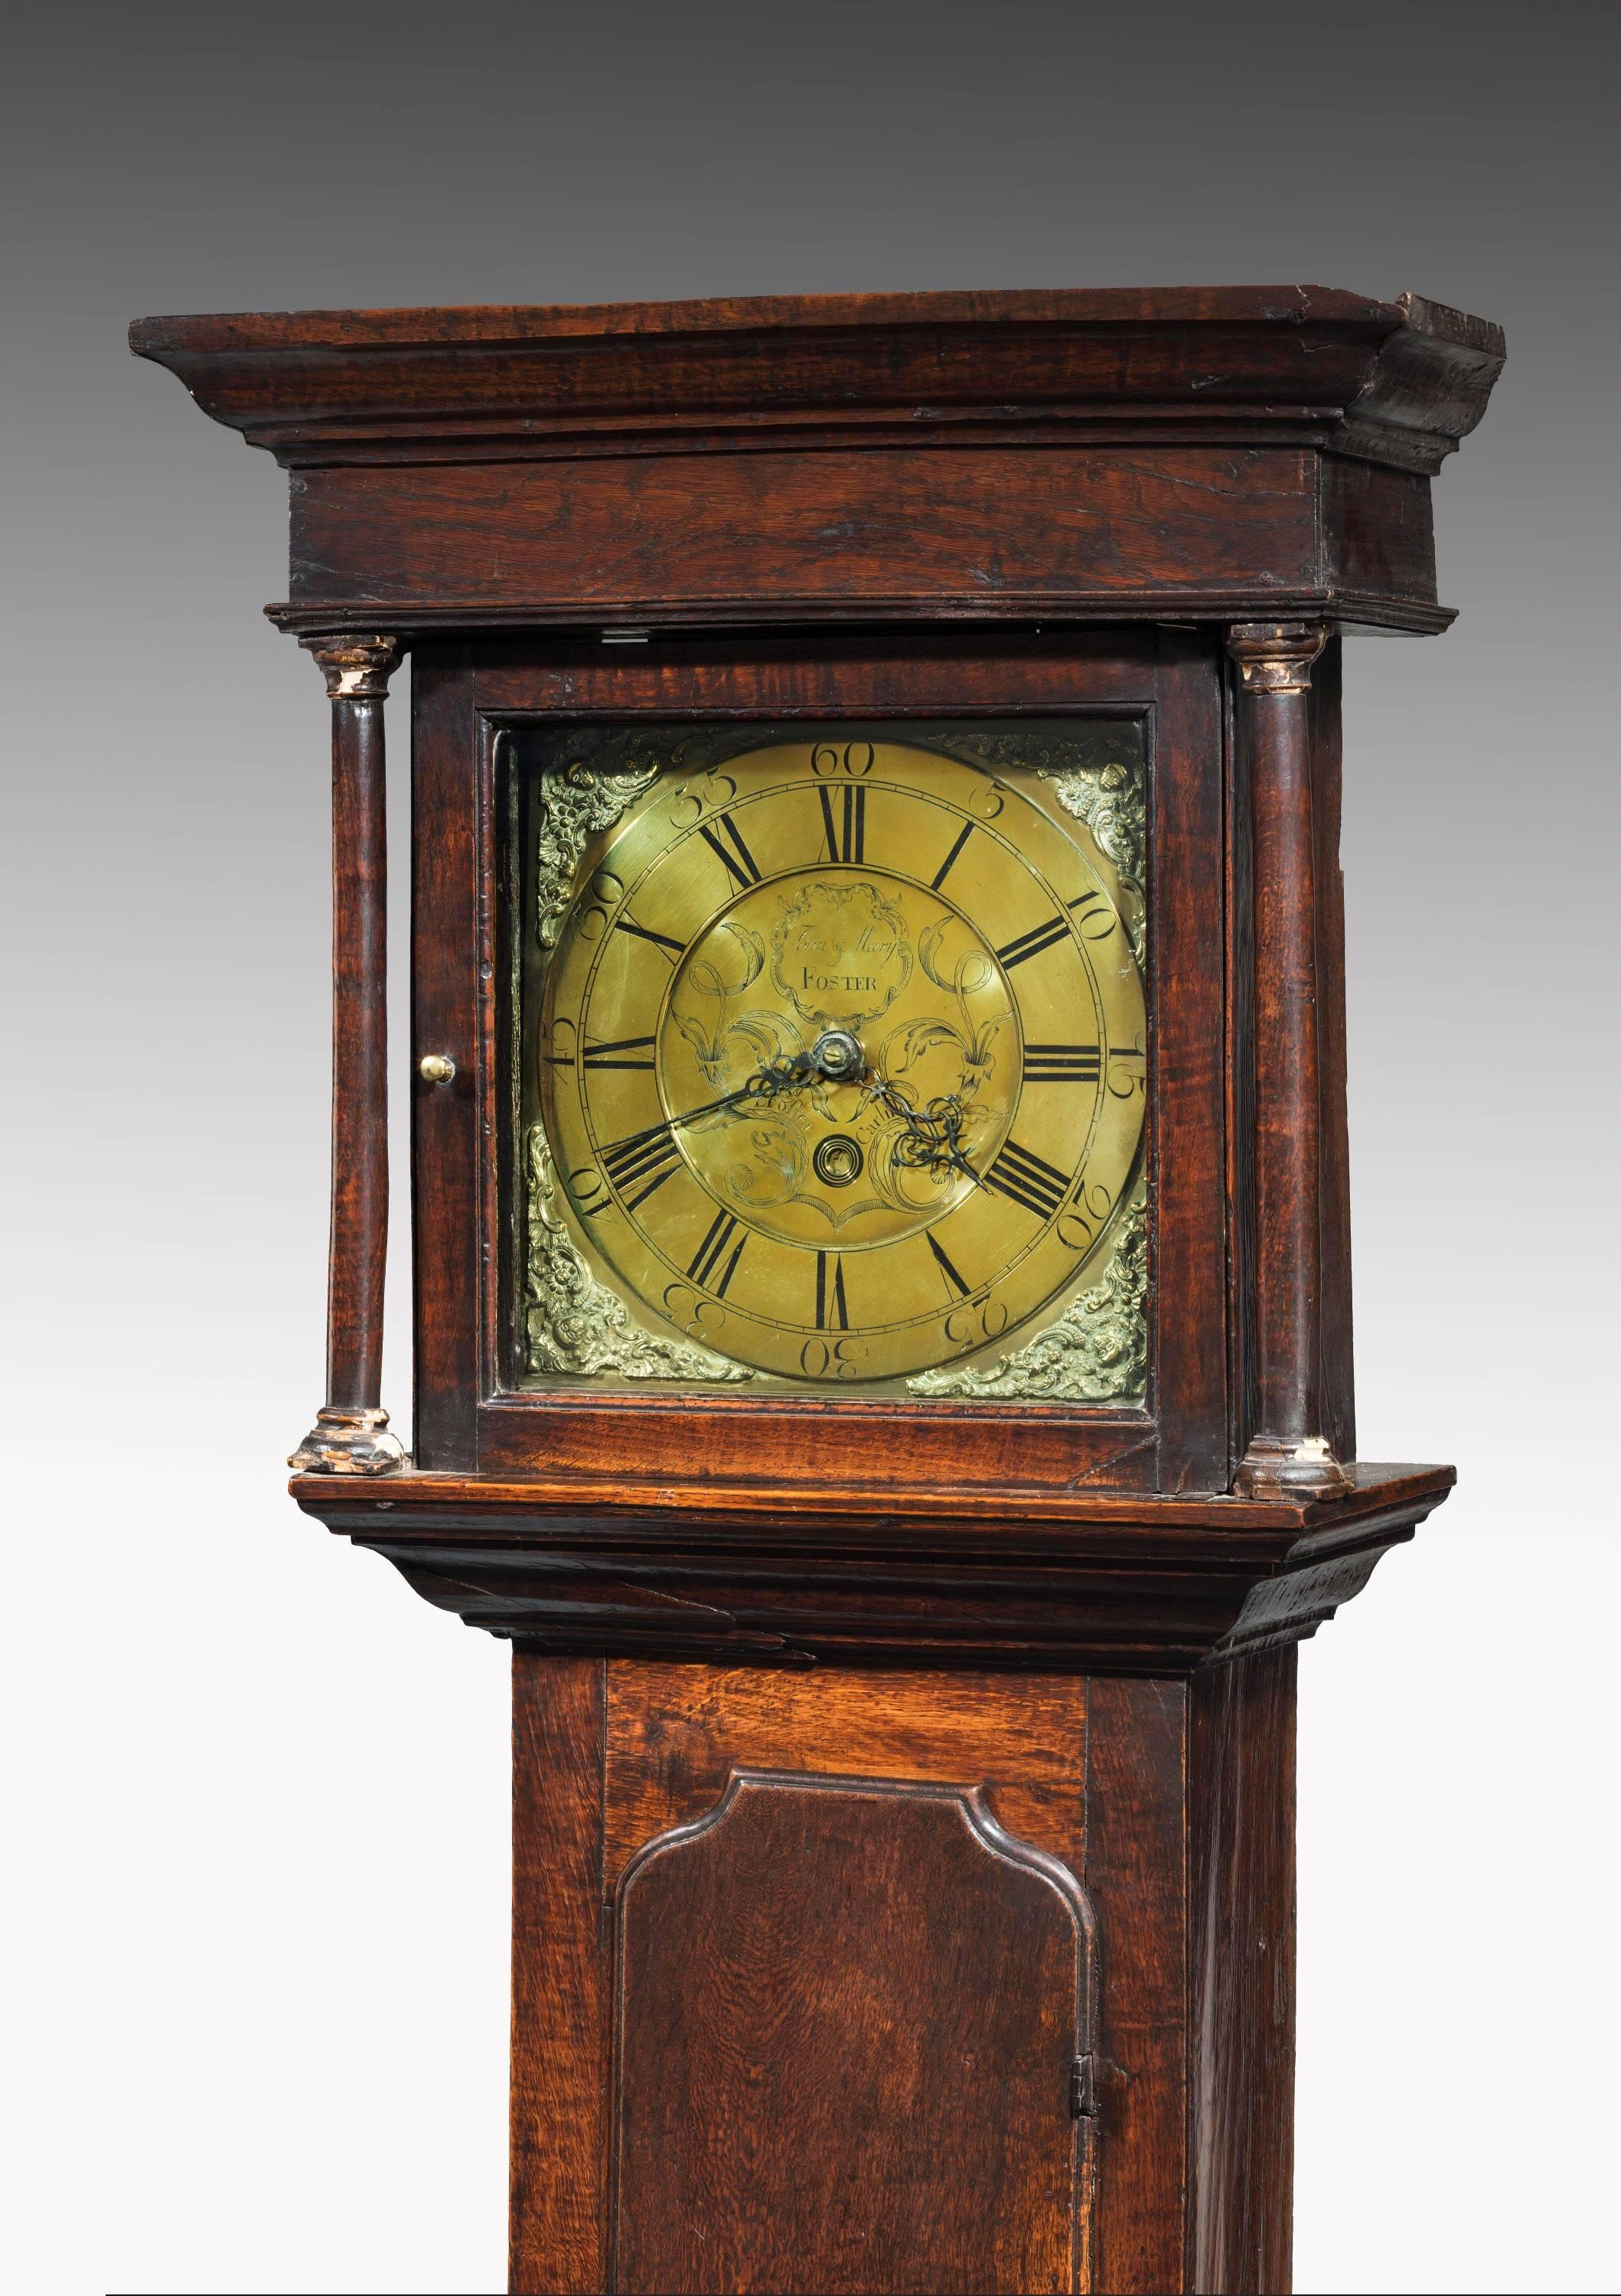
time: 8:19
